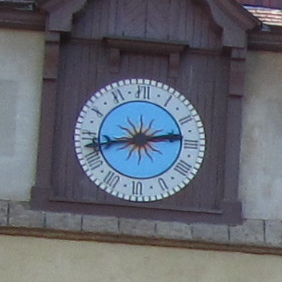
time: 2:42
